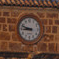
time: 8:48
